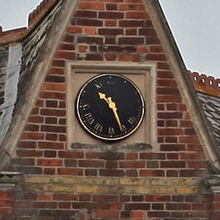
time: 10:26
